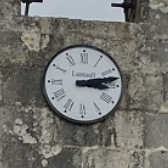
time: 3:12
